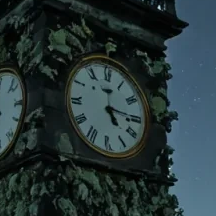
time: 5:15
